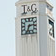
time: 2:33
